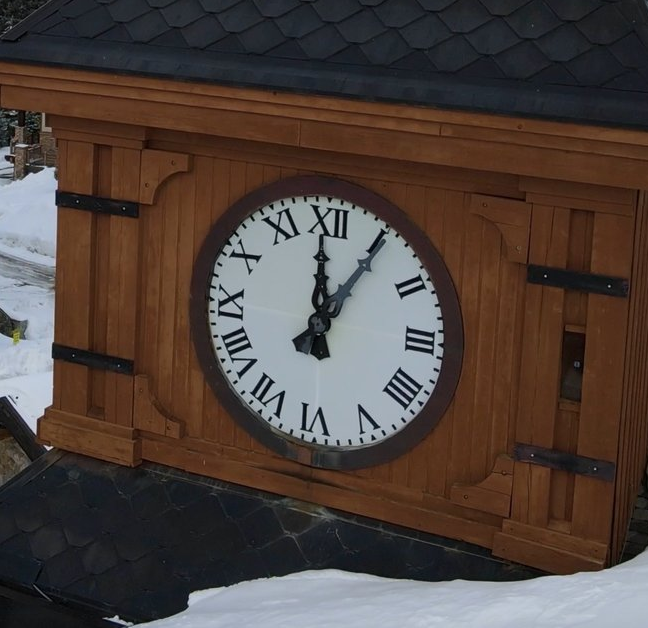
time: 12:05
